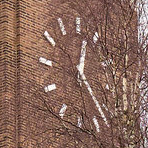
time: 12:23
